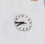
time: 7:44
